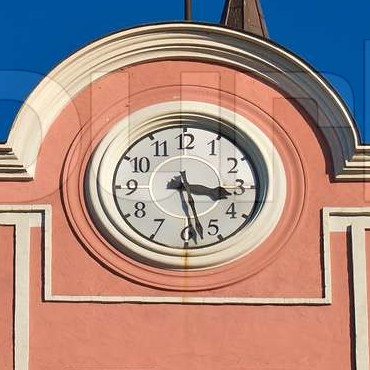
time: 3:28
